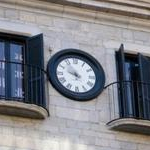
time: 9:55
